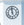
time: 4:59
